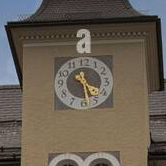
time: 4:28
